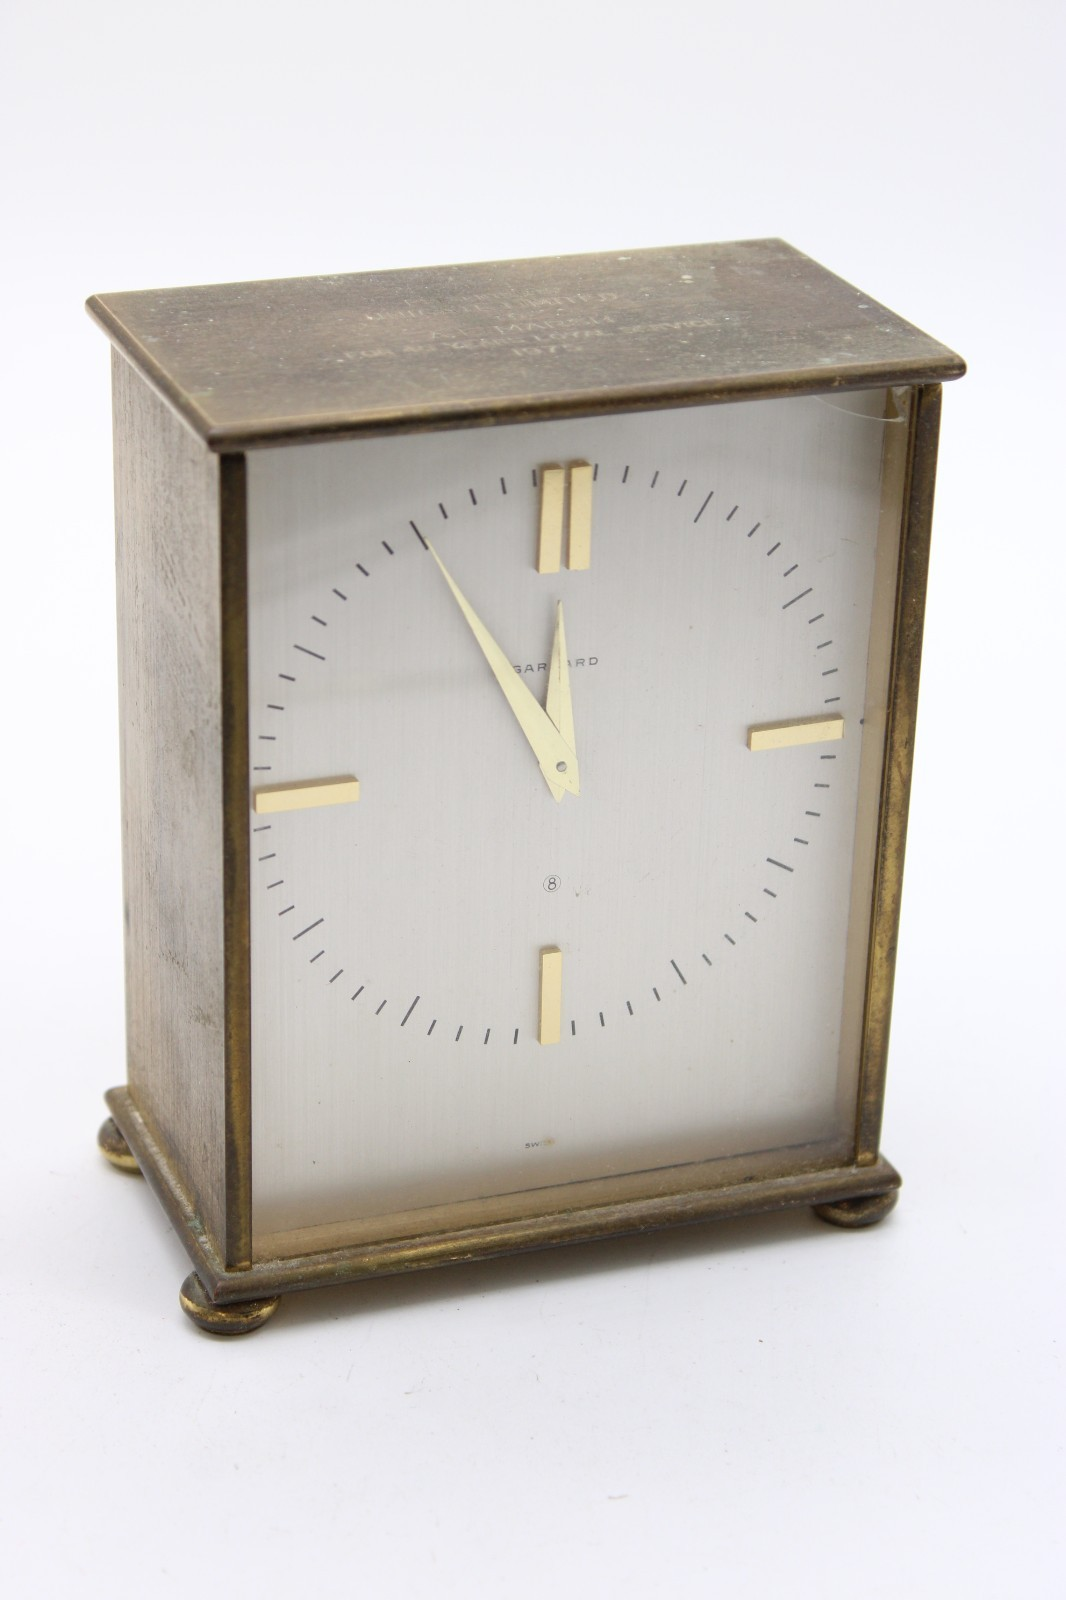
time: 11:00
